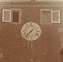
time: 7:37
